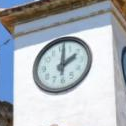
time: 2:00
